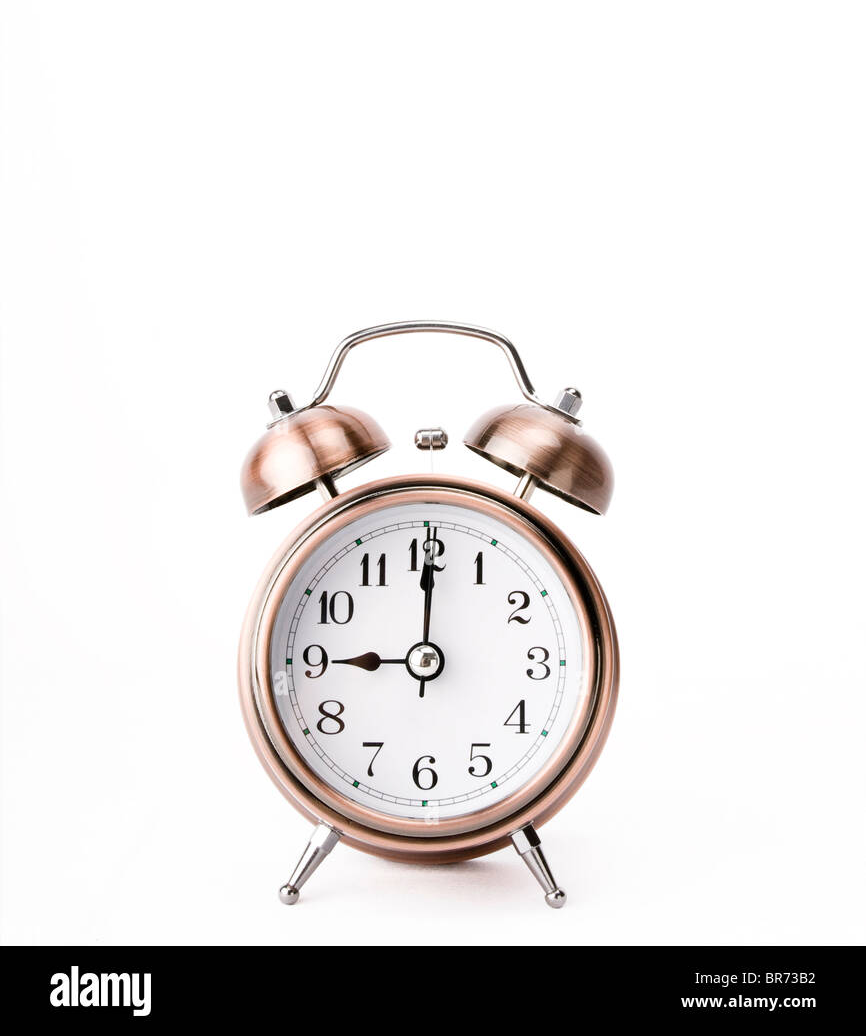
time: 9:00
